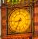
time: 8:34
